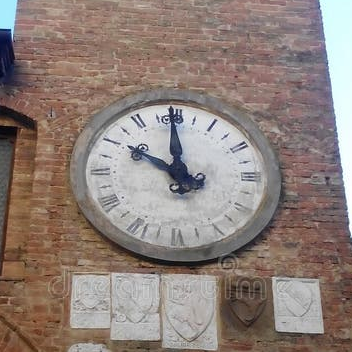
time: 9:59
